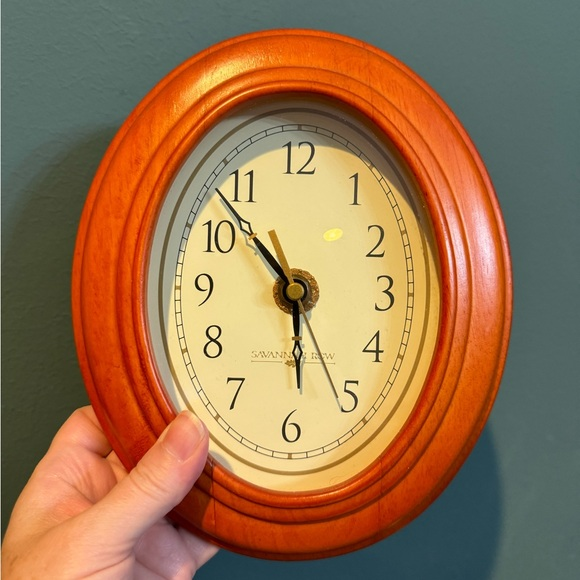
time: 5:52
